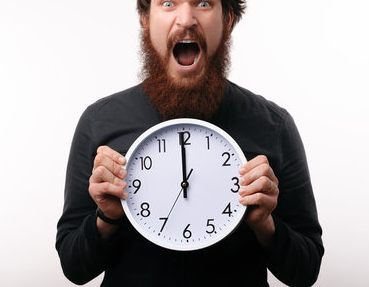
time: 11:59
